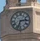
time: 2:33
